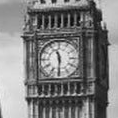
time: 11:30
